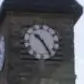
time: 10:24
